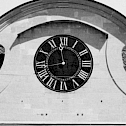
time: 11:43
